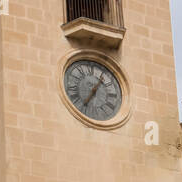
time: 7:06
